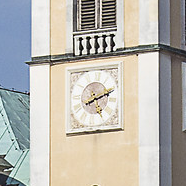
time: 8:11
